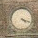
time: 4:18
